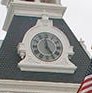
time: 4:59
